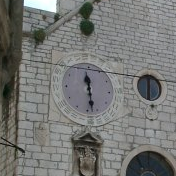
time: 11:28
